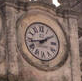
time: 1:43
